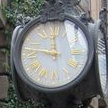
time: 11:47
